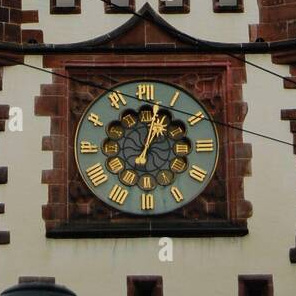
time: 1:02
